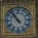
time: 10:53
